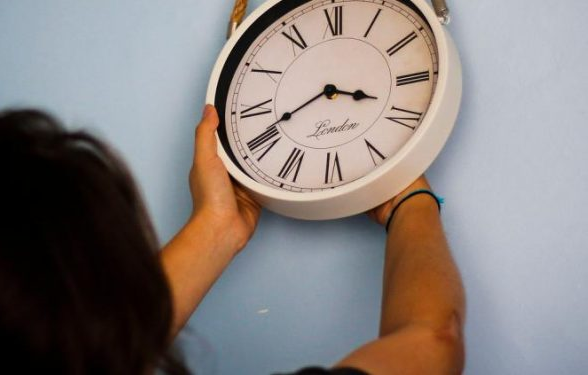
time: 3:40
